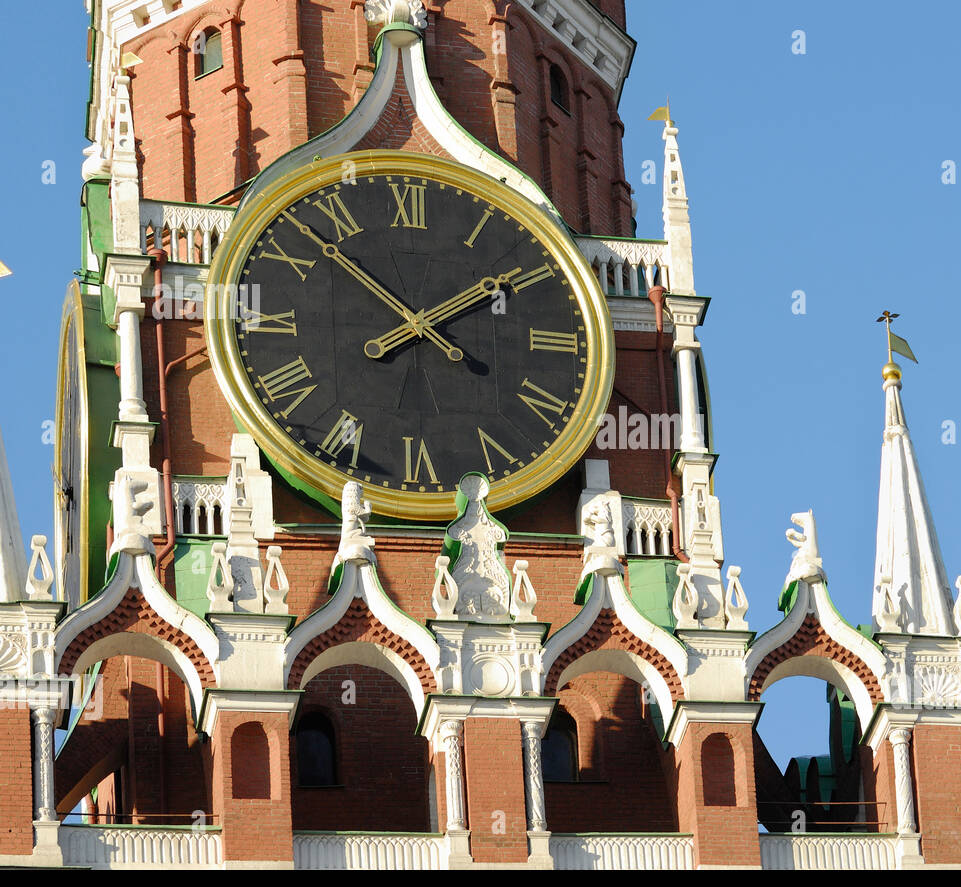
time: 1:52
